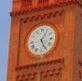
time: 5:05
